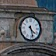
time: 4:27
